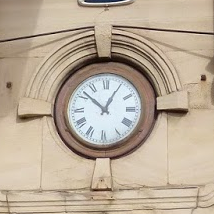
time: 12:52
